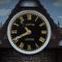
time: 10:40
